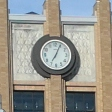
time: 7:04
